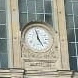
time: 4:57
